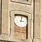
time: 3:02
